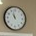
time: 10:57
